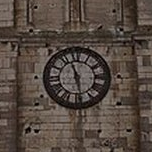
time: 11:28
